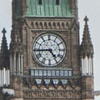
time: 4:44
